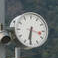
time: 6:17
